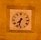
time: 7:32
